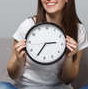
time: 2:34
